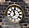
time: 11:37
